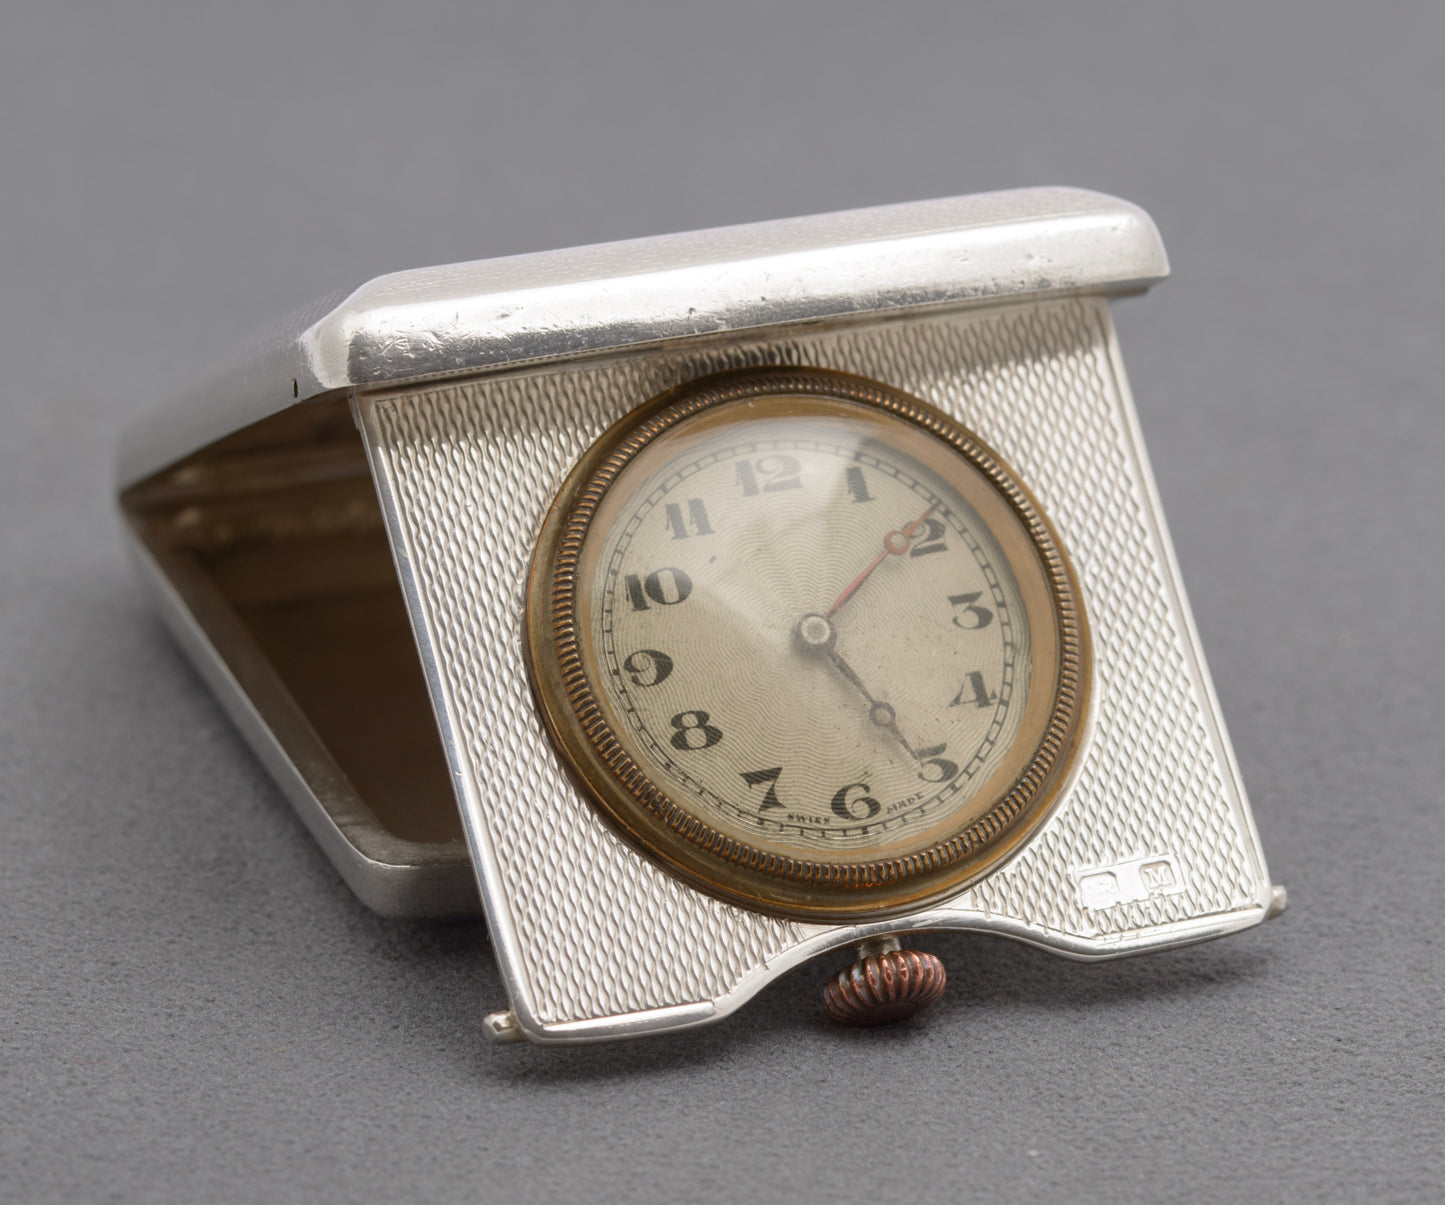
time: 5:07
